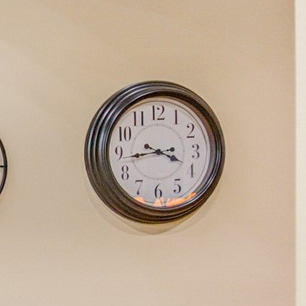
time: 3:43
